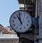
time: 10:58
